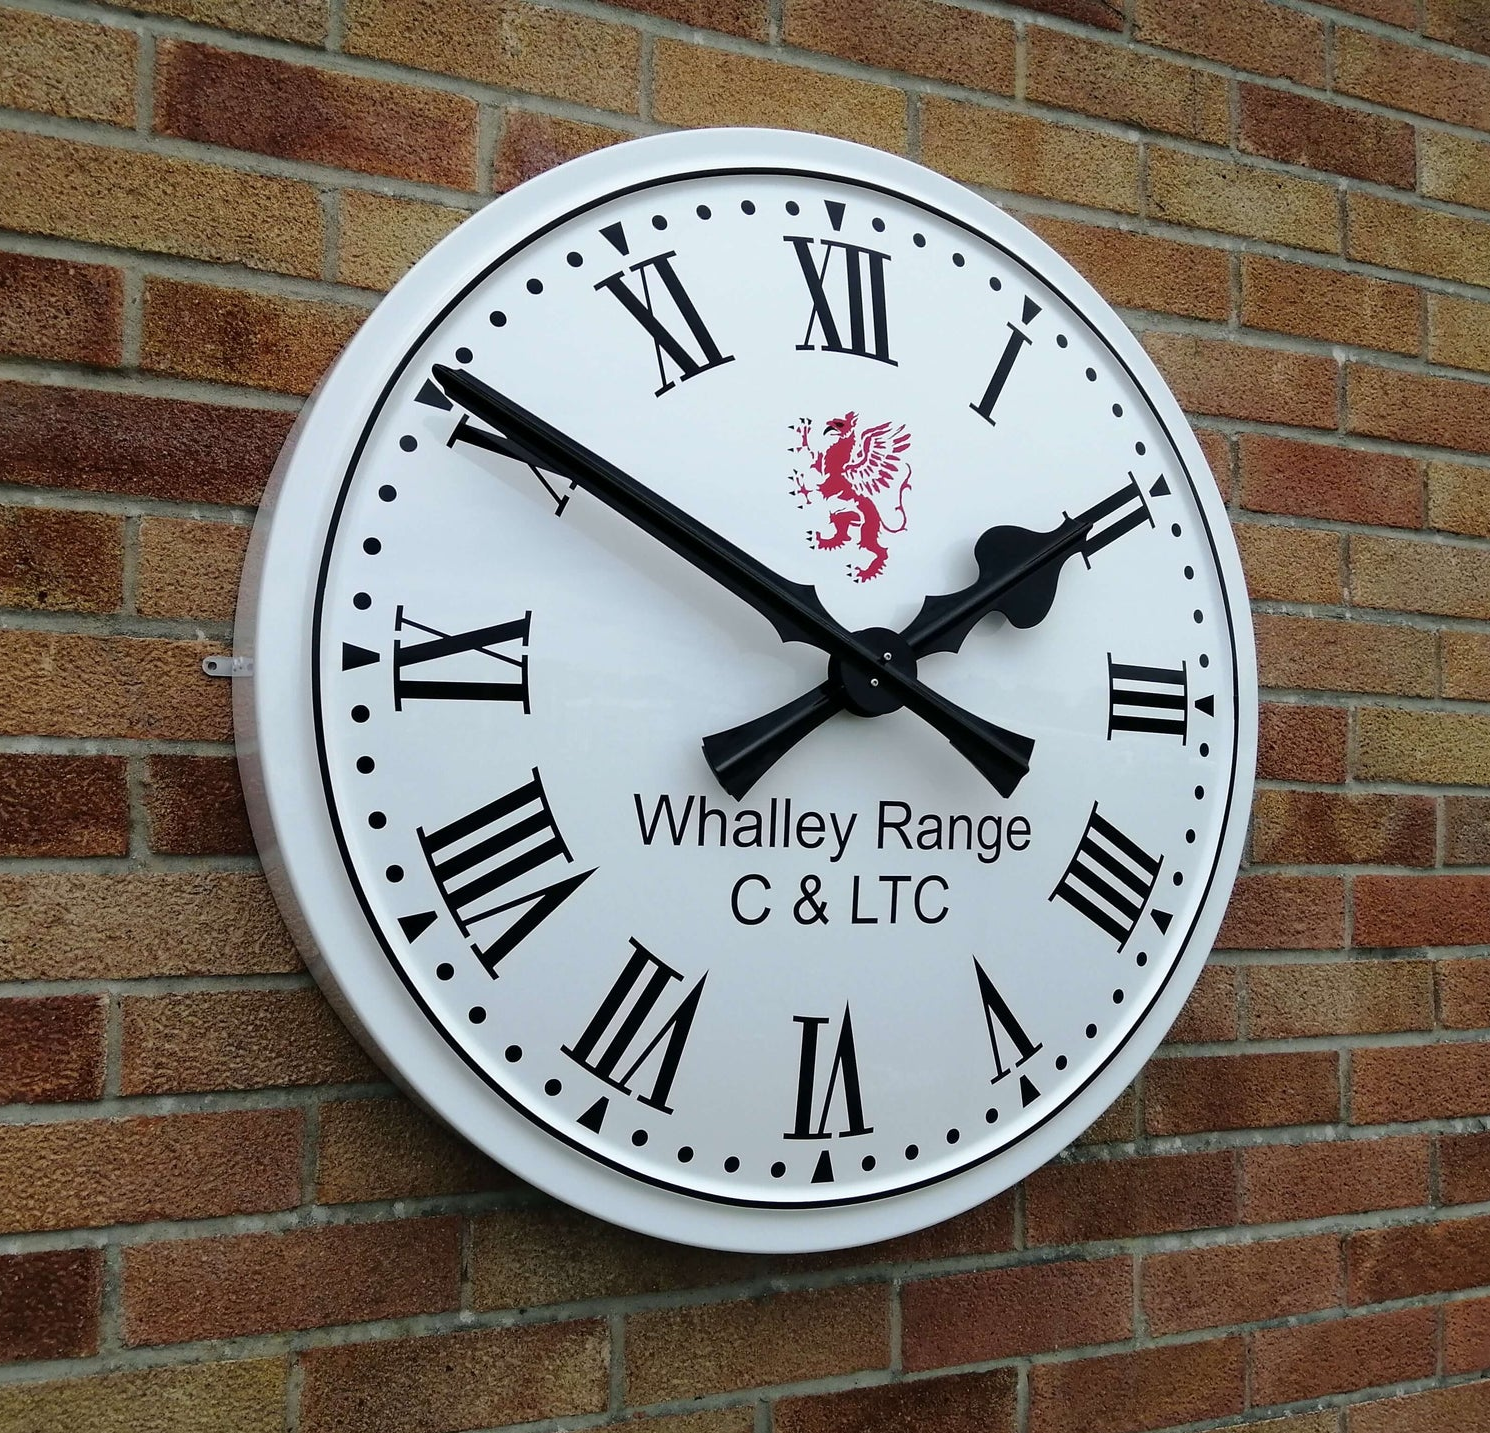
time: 1:50
